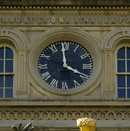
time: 3:59
